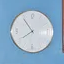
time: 7:54
